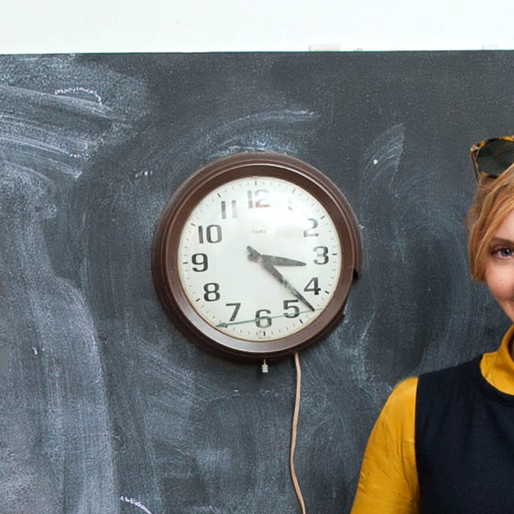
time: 3:22
